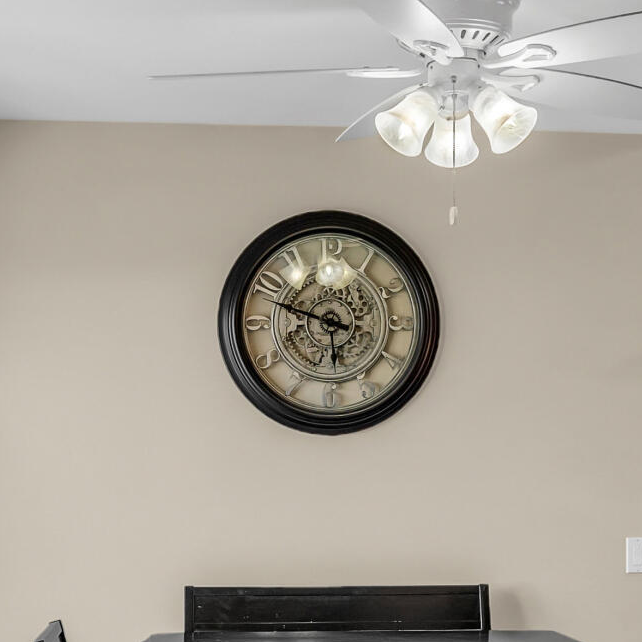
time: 5:48
